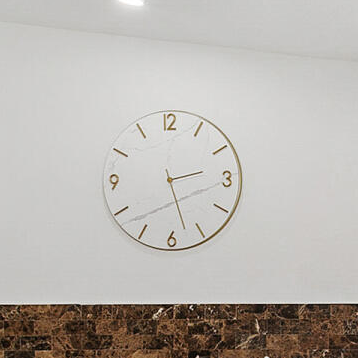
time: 2:27
